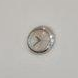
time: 10:37
